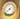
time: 7:37
